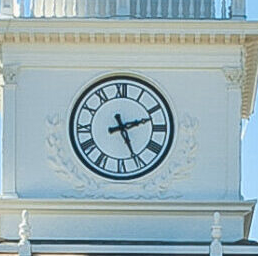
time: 2:26
